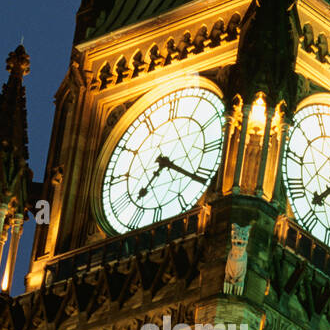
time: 7:20
